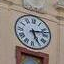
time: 5:12
